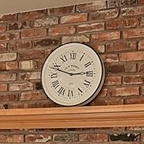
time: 2:48
